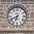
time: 6:40
